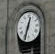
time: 12:33
